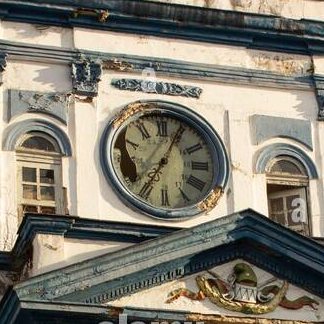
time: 7:04
